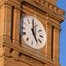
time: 5:00
